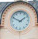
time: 1:49
